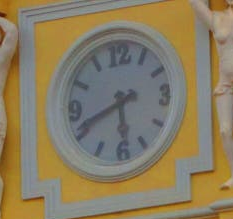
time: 5:41
